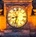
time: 8:32
